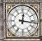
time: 12:16
